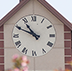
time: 10:49
